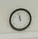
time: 11:57
